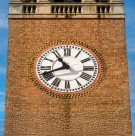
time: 10:41
